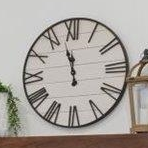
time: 11:57
